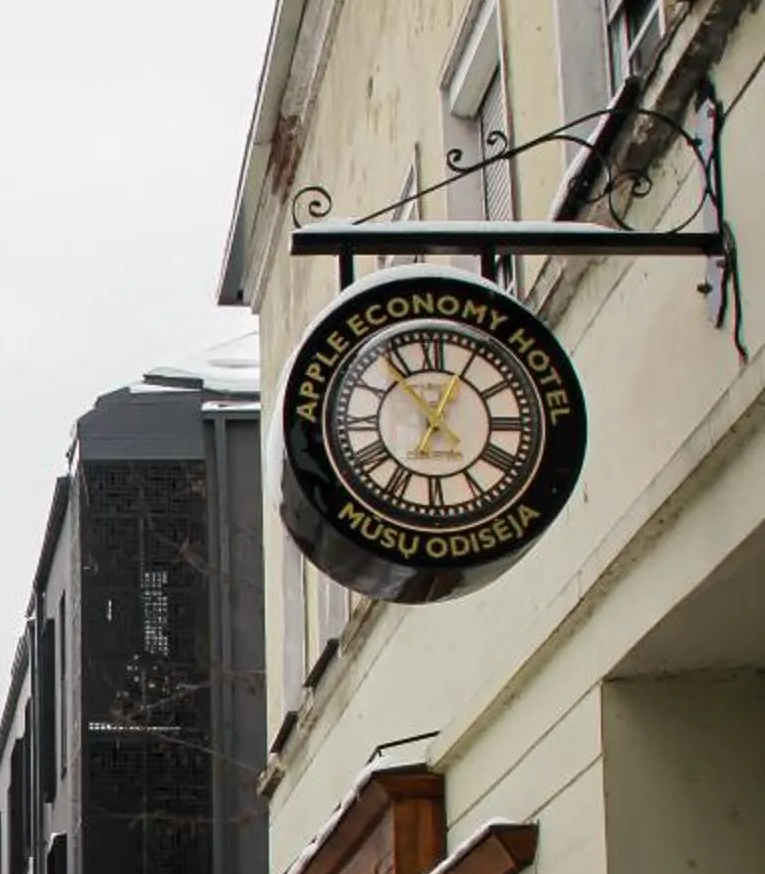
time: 11:04
